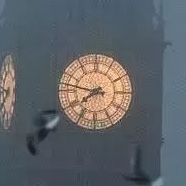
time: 7:46
